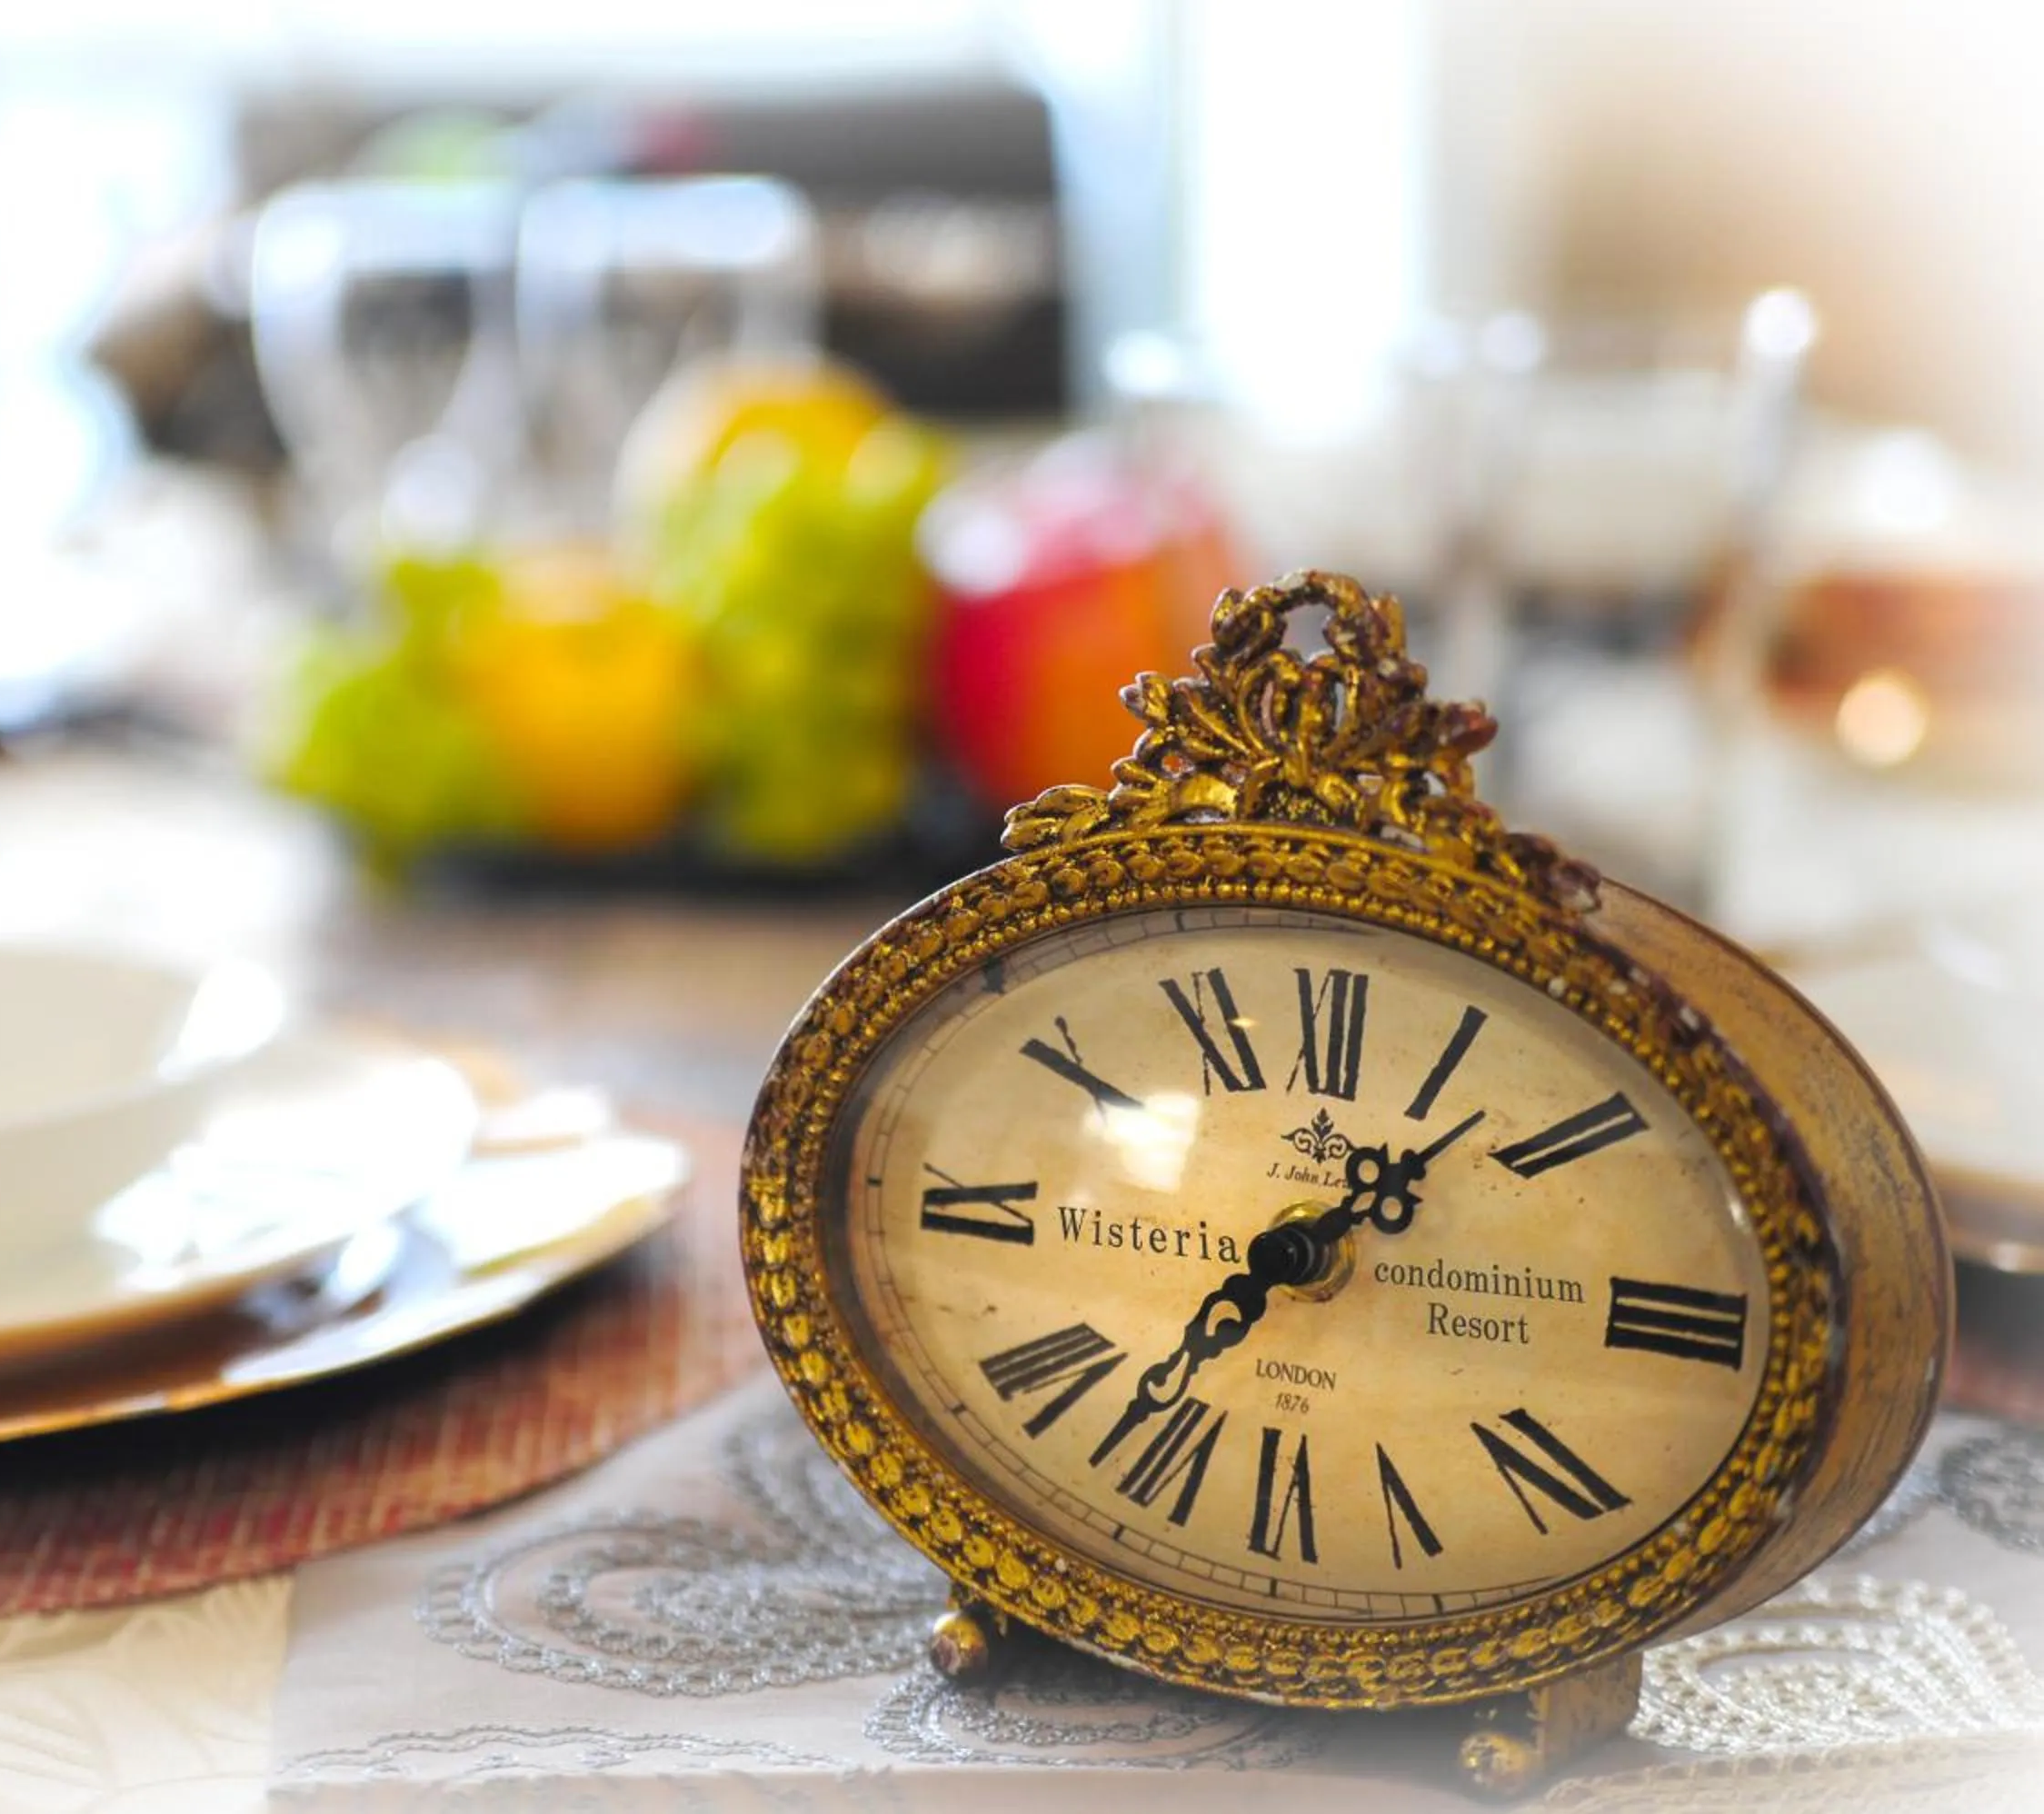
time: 1:36
